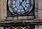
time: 1:23
